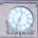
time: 12:33
